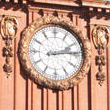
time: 2:13
